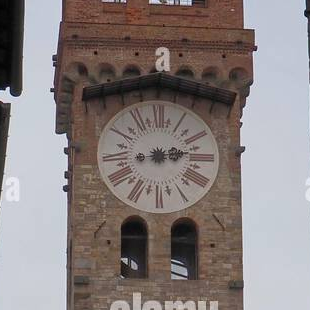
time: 2:12
